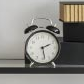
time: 2:28
